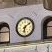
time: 6:08
